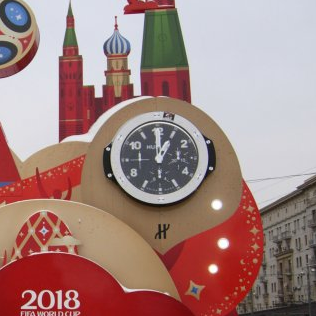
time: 1:00
